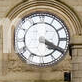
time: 4:19
